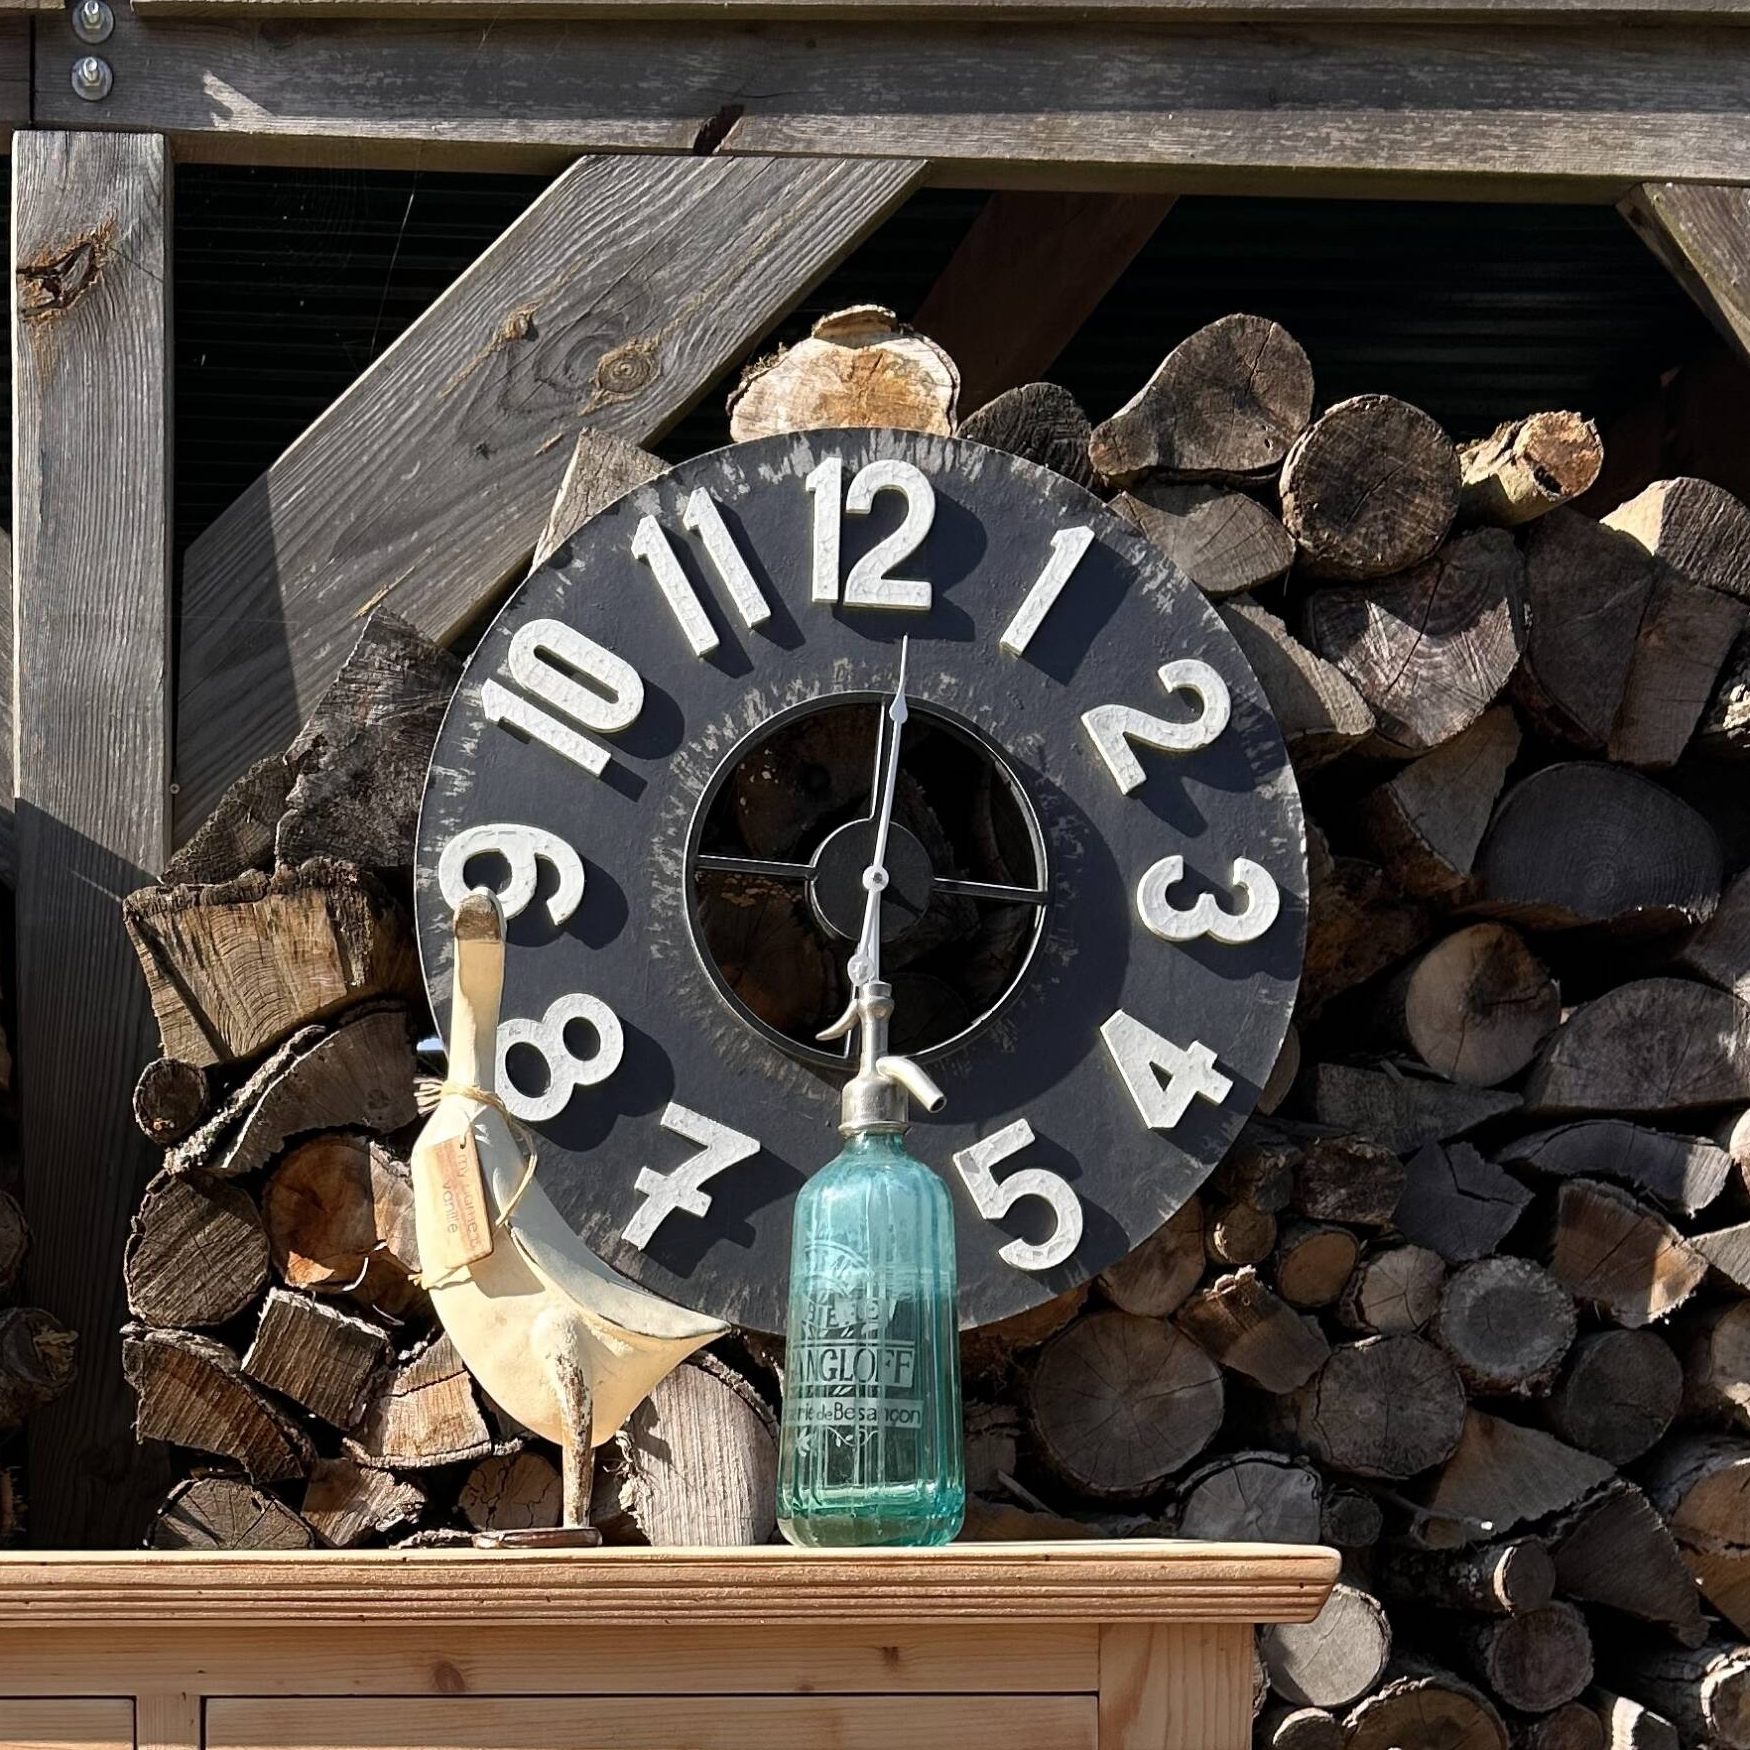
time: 6:01
